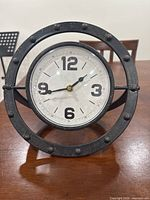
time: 1:42
